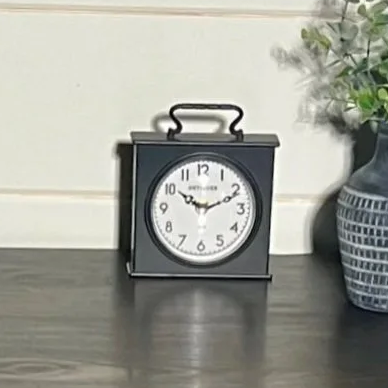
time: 10:11
